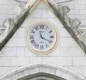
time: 11:19
